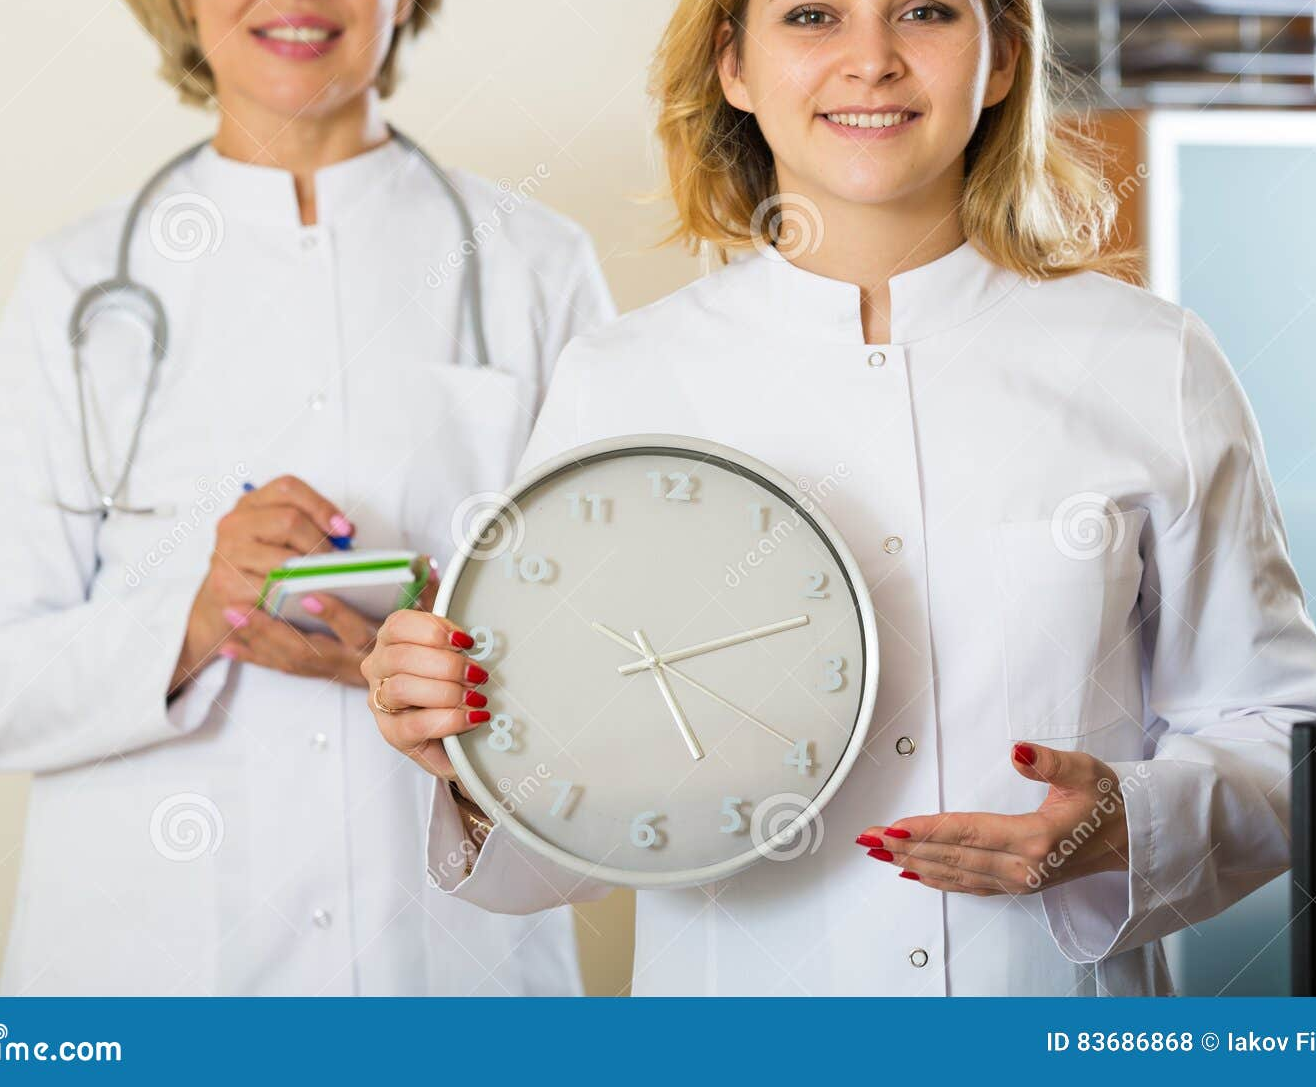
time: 5:11
